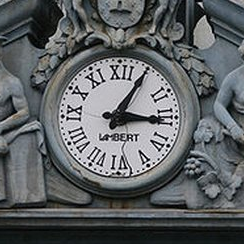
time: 3:05
